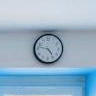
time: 4:47
